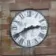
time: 2:40
